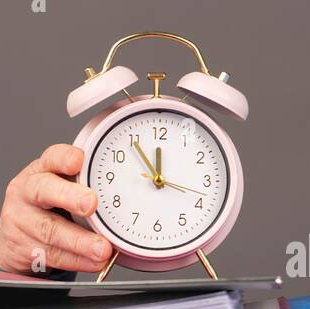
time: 11:54
